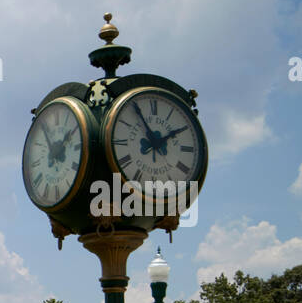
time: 1:54
